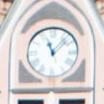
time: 11:07
